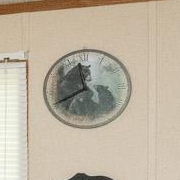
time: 11:40
